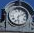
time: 6:10
